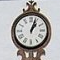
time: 1:03
